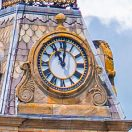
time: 11:01
